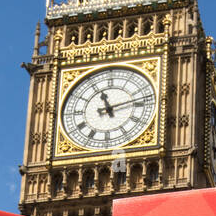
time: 11:12
